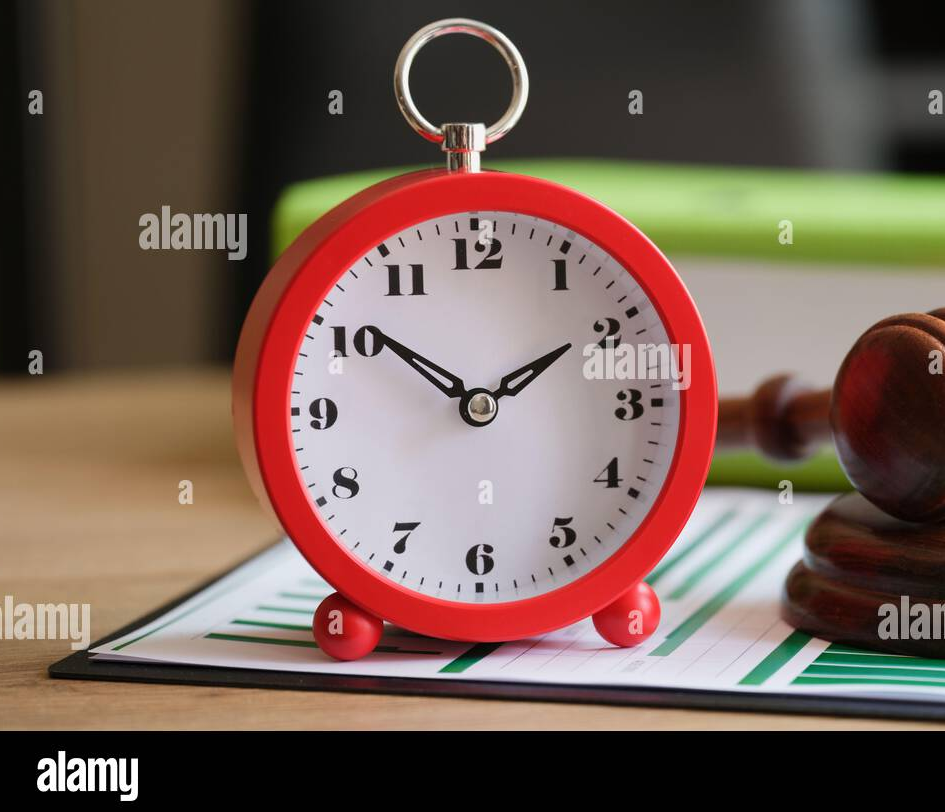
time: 1:50
